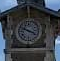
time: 3:48
